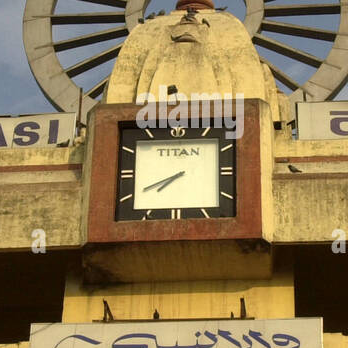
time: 7:40
